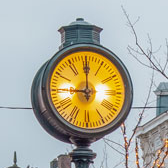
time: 9:00
